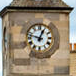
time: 12:47
